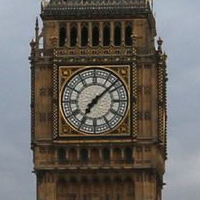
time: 7:08
